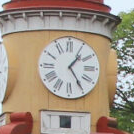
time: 1:24
